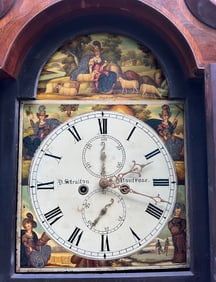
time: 2:00
